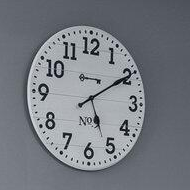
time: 5:09
